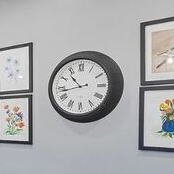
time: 10:43
